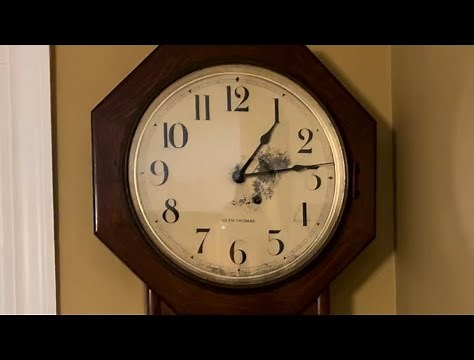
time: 1:13
